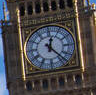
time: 12:23
